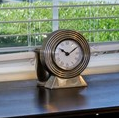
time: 10:09
